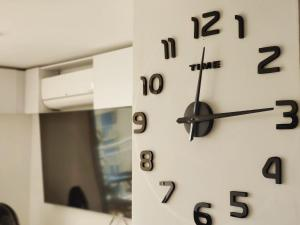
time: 12:14
